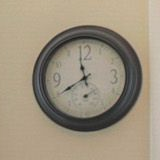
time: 11:40
